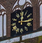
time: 12:16
